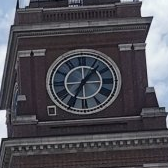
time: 1:34
